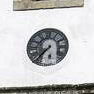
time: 7:37
